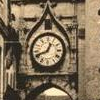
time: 12:41
